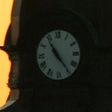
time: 4:54
